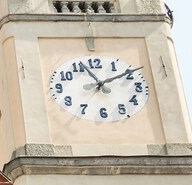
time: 11:10
